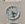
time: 3:28
